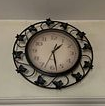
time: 1:28
